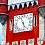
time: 5:26
